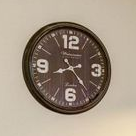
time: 8:23
